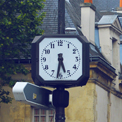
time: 5:31
